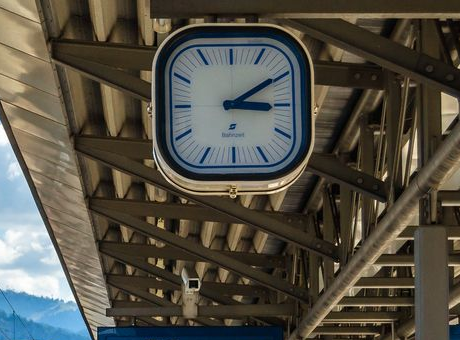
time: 3:09
